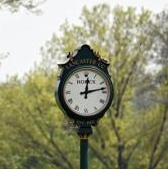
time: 12:13
